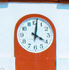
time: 4:01
